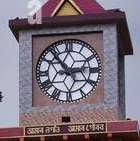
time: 2:53
